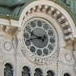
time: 9:42
